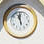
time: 10:58
